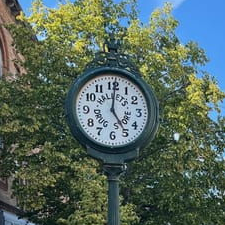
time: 5:00
